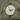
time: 2:56
